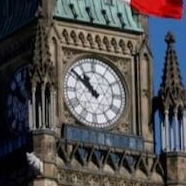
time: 10:51
